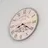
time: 8:20
